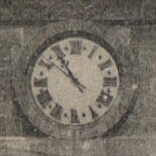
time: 10:51
